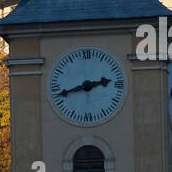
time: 2:42
